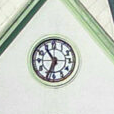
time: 10:34
